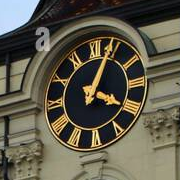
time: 4:04
